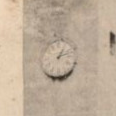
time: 1:12
